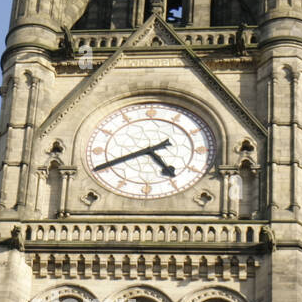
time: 4:40
